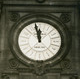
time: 11:57
